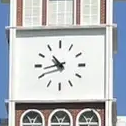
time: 10:42
